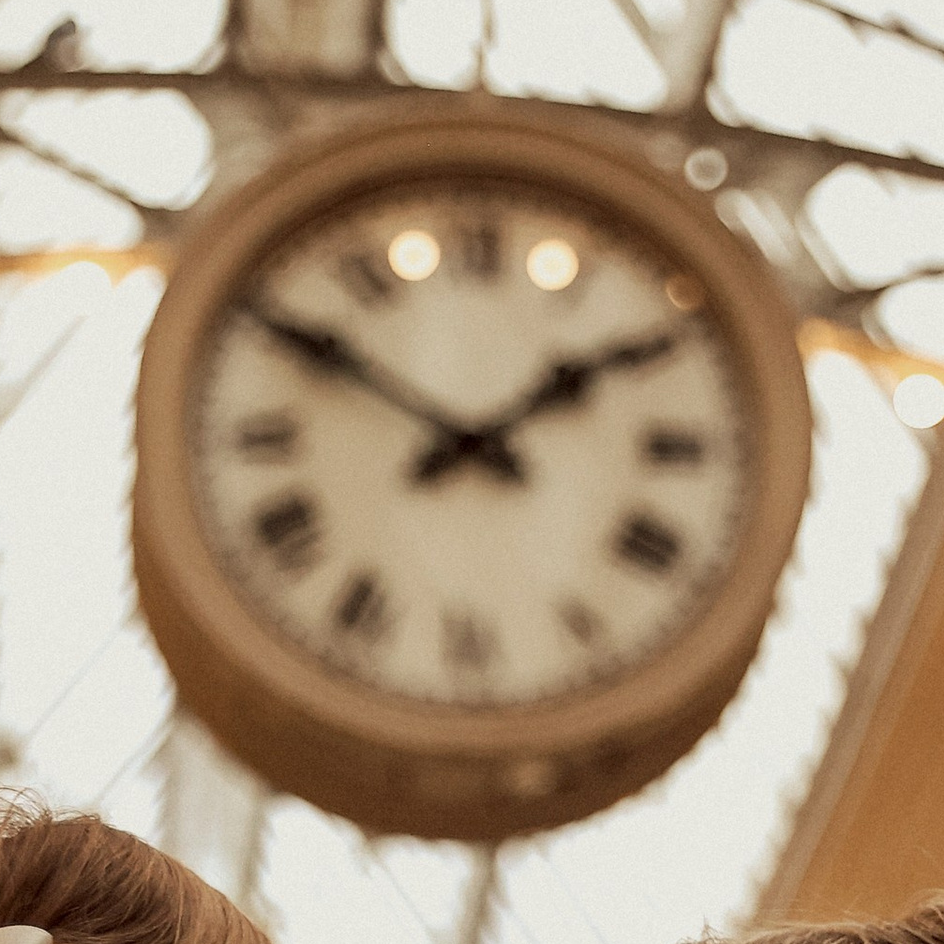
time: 1:50
